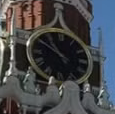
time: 10:50
